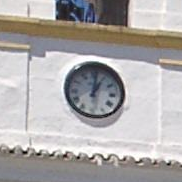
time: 1:01
